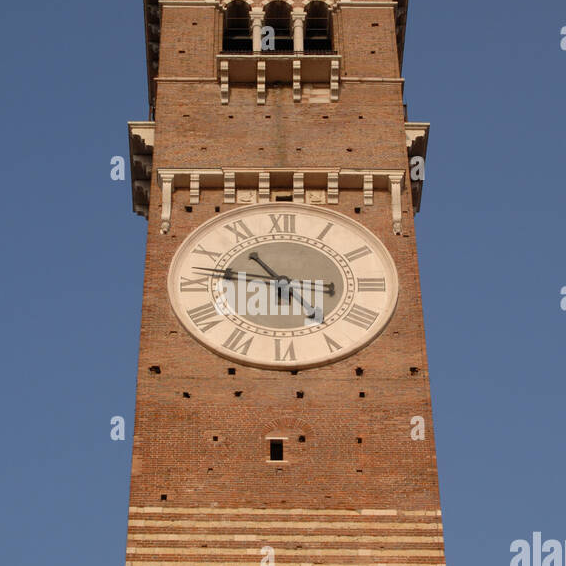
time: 10:46
